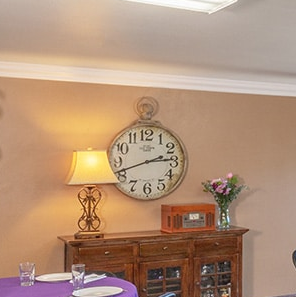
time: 2:41
